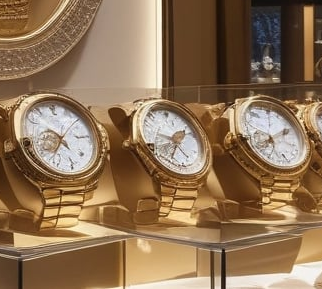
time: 1:34
